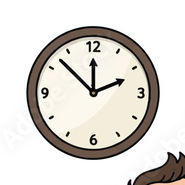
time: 11:52
